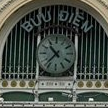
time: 10:37
